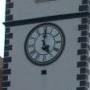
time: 5:00
